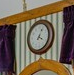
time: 4:04
